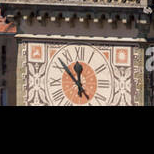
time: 11:52
